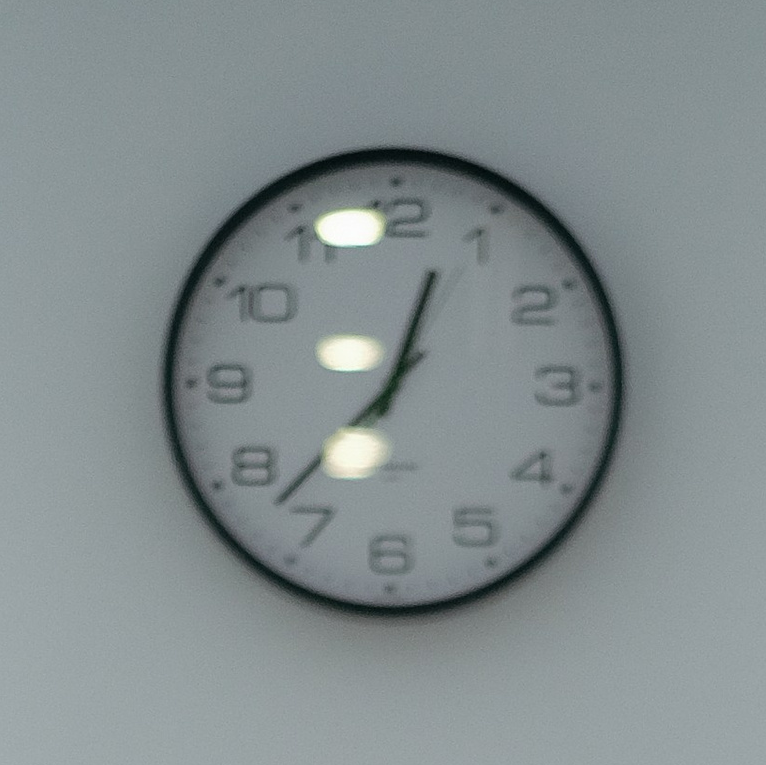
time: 12:37
